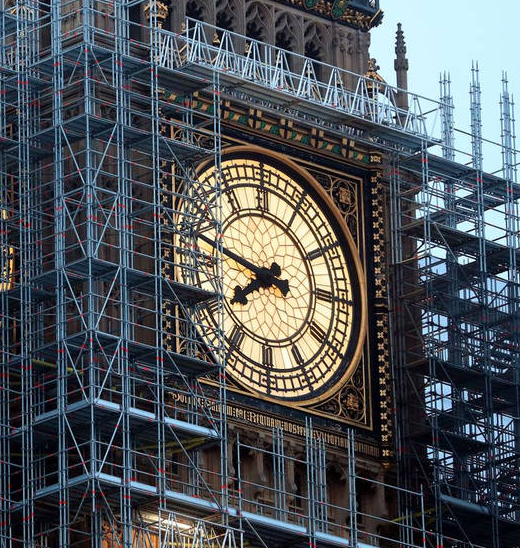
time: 7:47
